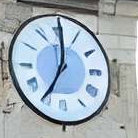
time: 7:00
